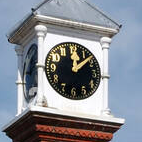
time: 12:07
